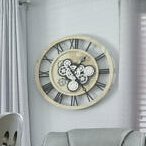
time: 1:24
